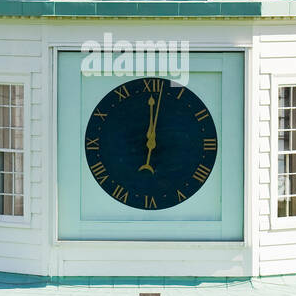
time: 12:01
